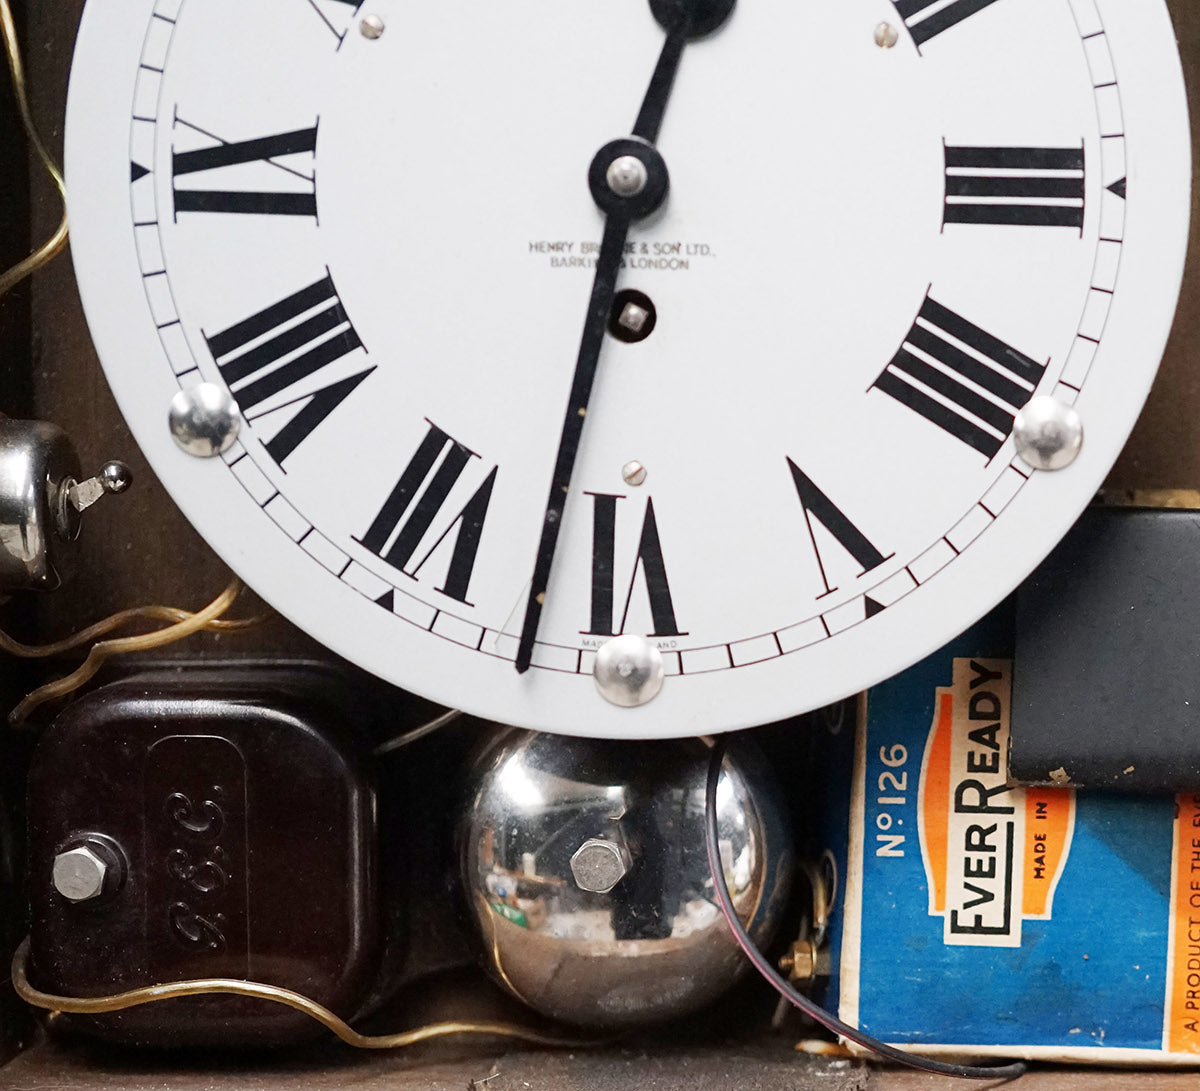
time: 12:32
